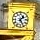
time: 1:25
